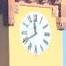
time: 11:40
